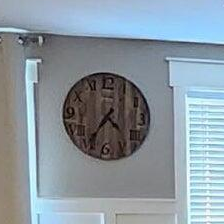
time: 4:35
